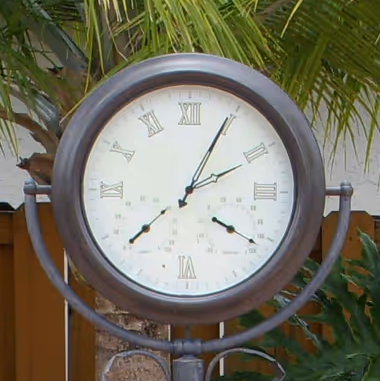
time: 2:04
